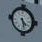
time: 4:28
